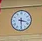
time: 3:29
